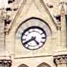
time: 4:40
